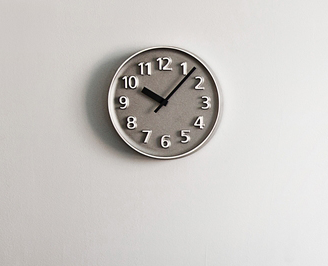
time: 10:07
